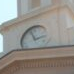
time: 2:56
